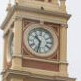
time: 10:32
